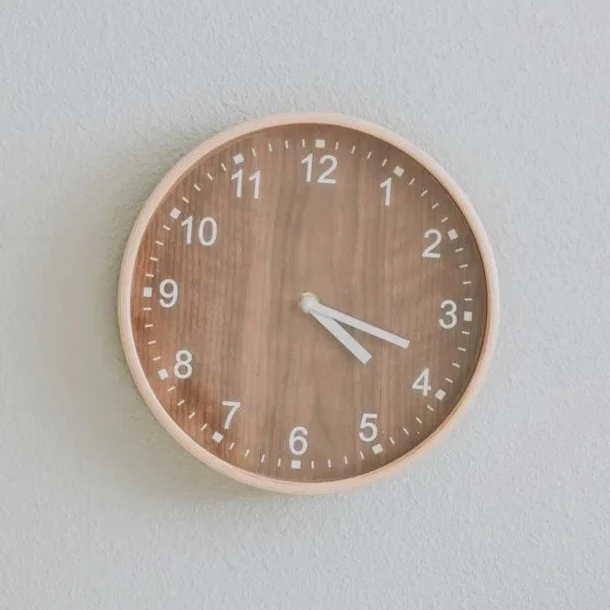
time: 4:18
